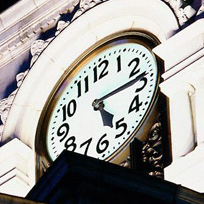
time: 5:14
